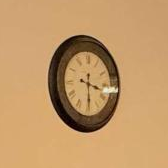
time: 3:29
